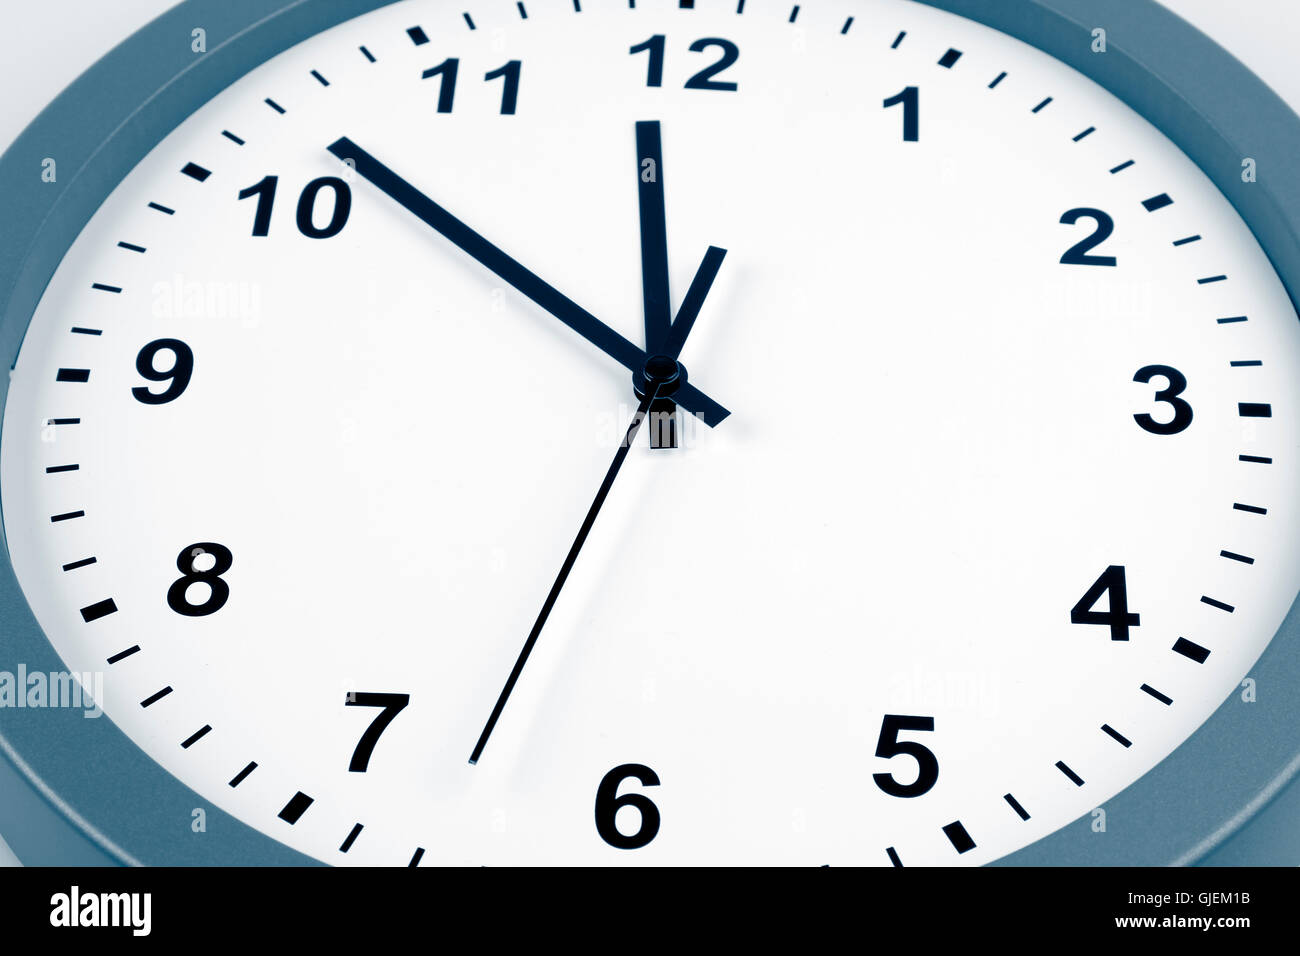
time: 11:51
